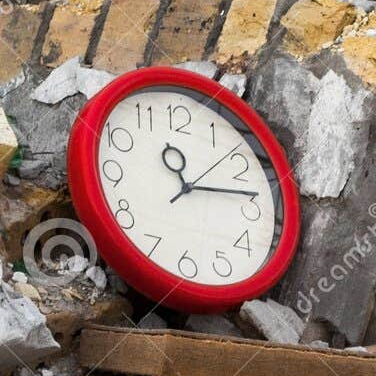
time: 11:13
